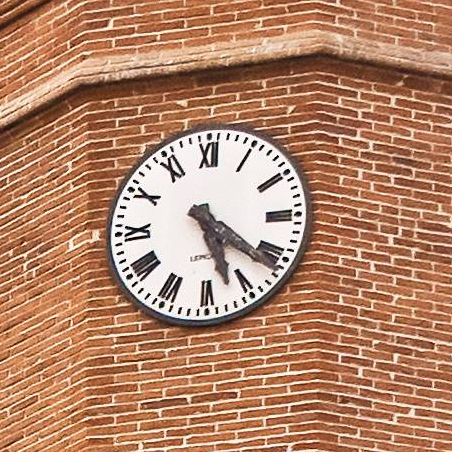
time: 5:21
